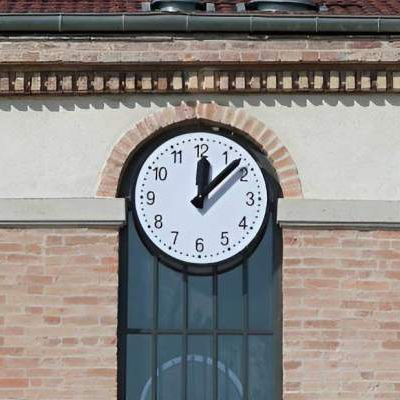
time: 12:07
